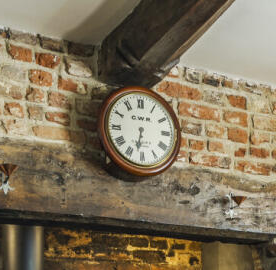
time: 6:31
